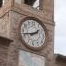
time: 1:42
